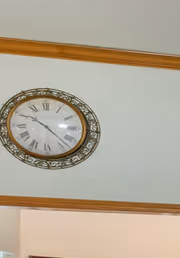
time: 10:22
